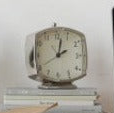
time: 2:02
